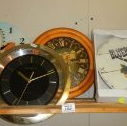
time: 10:11
